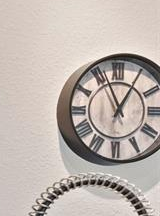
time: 12:56
